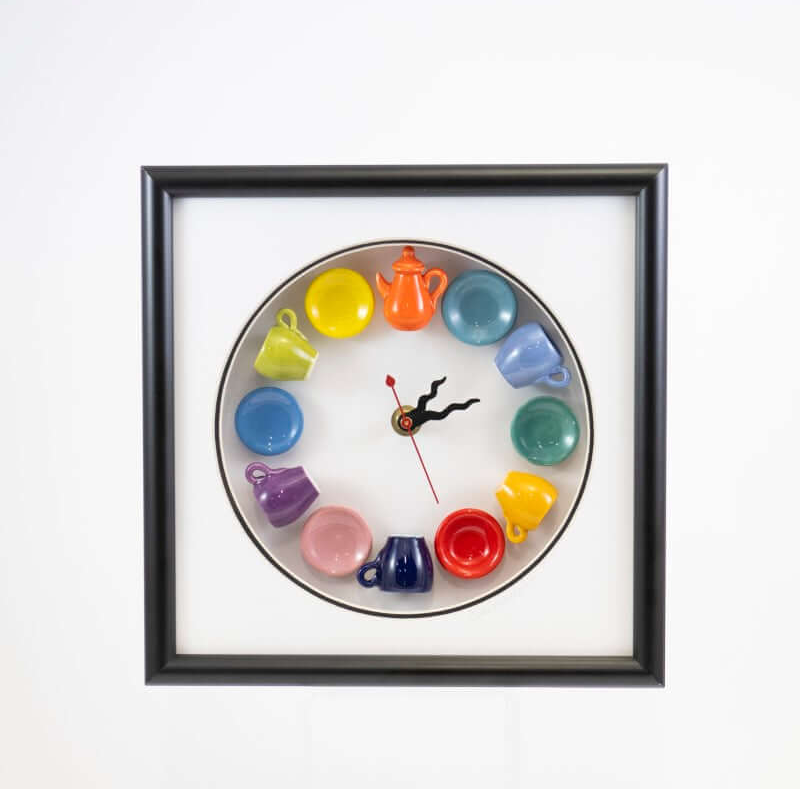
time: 1:11
